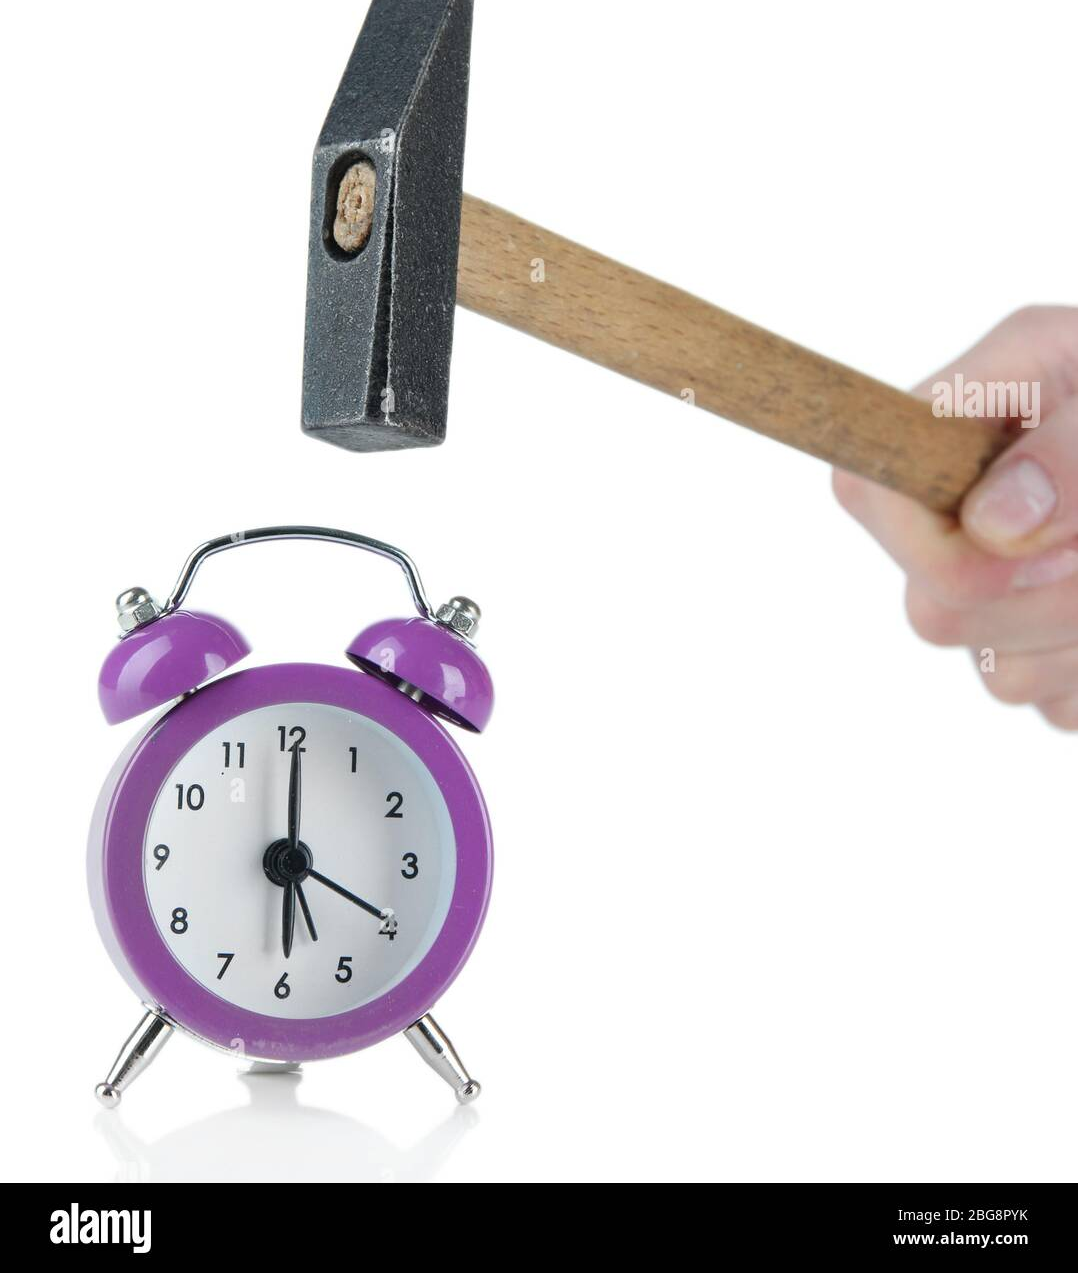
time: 6:00
